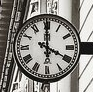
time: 4:00
